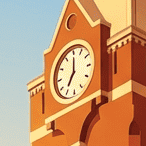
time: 7:00
